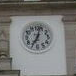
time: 7:02
